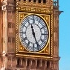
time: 11:26
